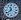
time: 11:37
